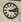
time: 3:12
